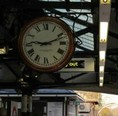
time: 9:11
